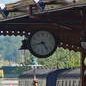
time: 8:23
